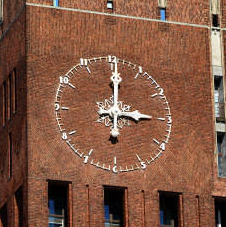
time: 3:00
